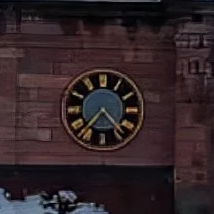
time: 4:37
